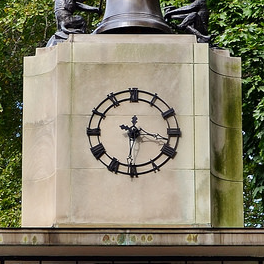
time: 3:30
